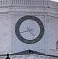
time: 4:42
